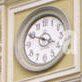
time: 3:49
